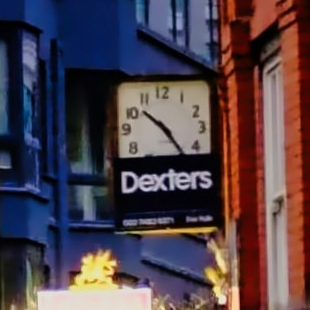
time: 10:24
